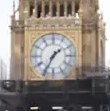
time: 1:34
